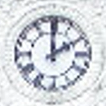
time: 2:00
